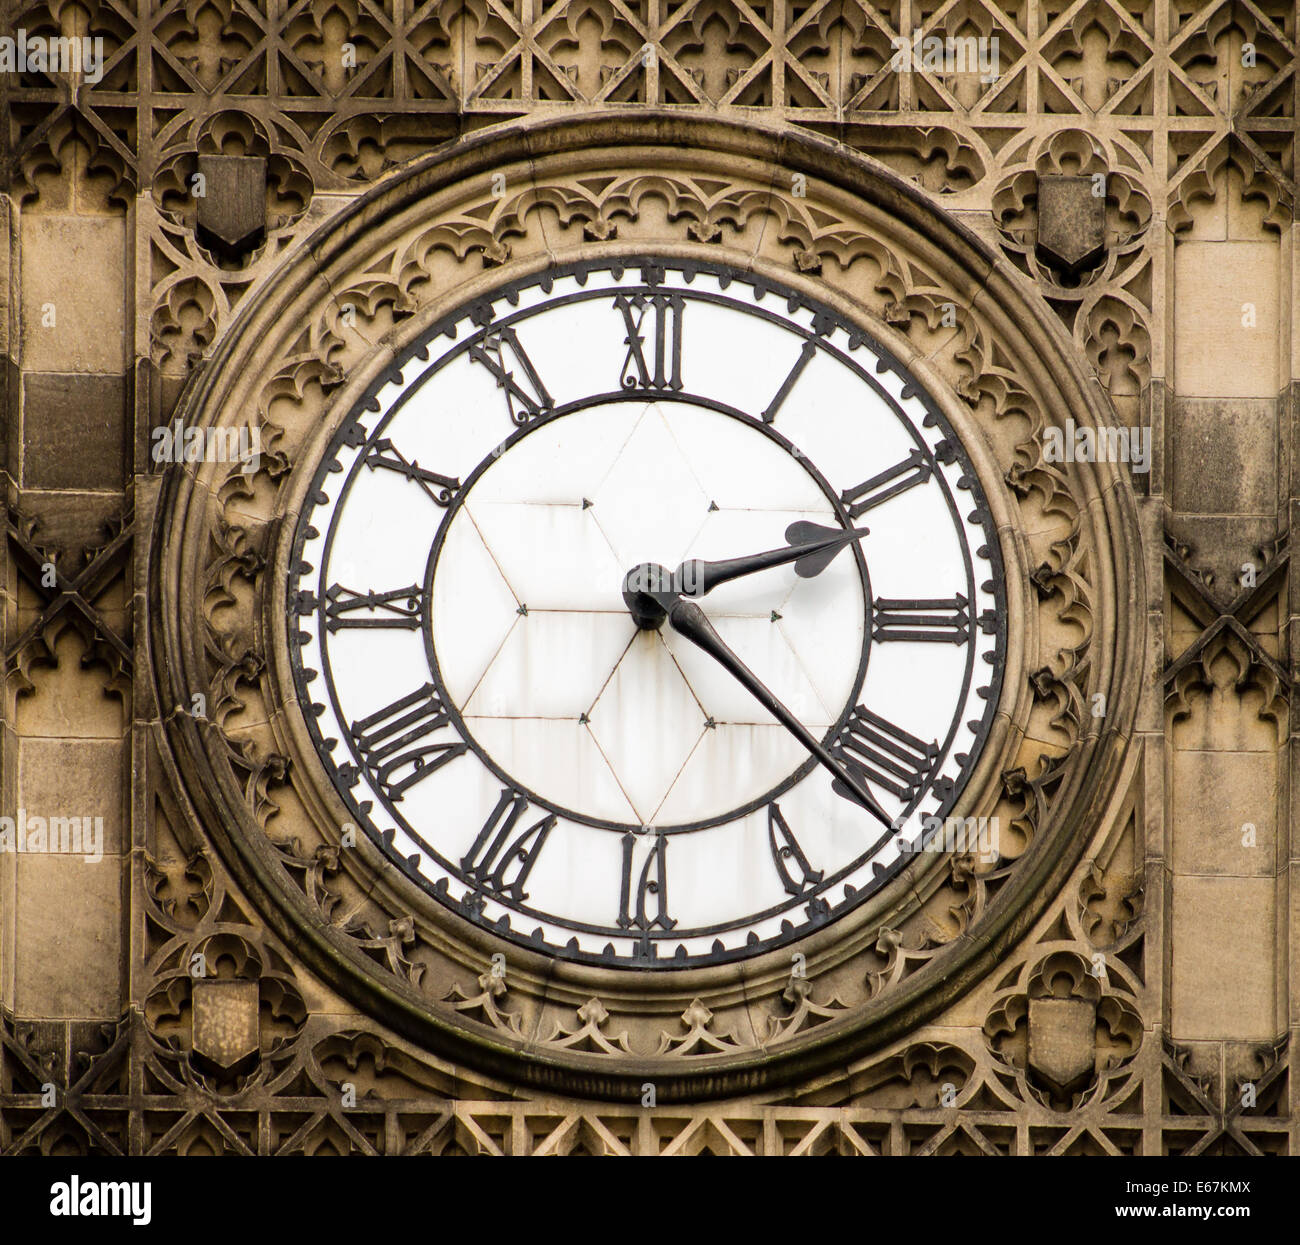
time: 2:21
